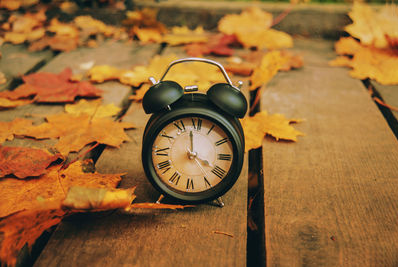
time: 3:58
